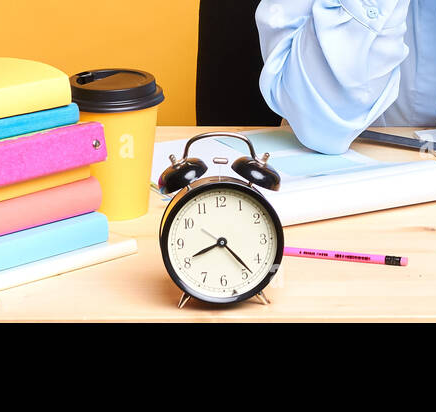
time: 8:23
